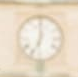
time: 7:00
